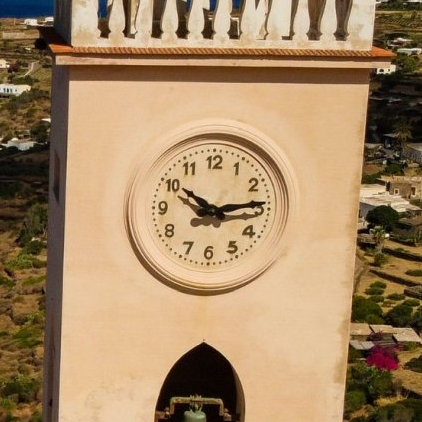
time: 10:13
